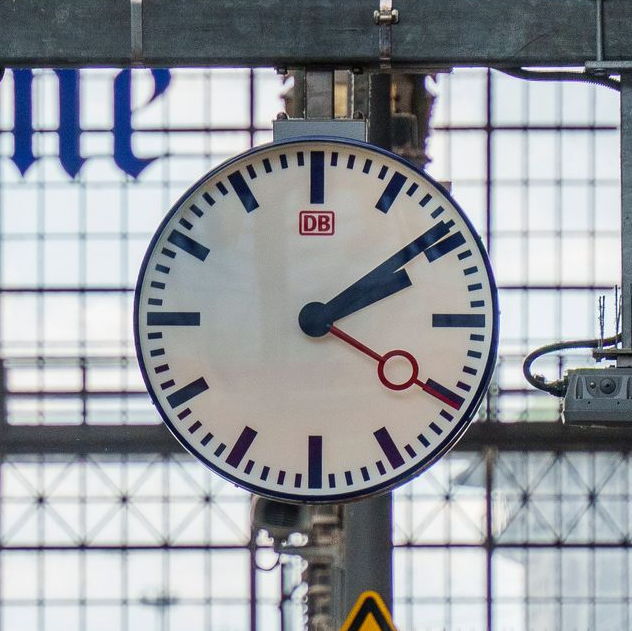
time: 2:09
